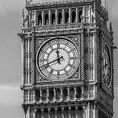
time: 11:41
